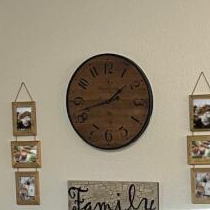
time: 1:41
